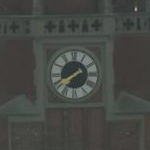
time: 7:40
